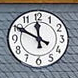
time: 11:49
